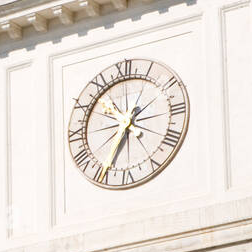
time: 6:34
